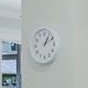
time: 1:11
